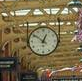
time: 12:51
